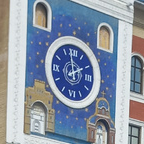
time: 1:58
